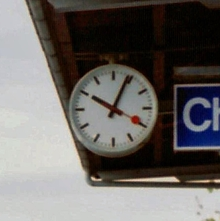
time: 10:04
